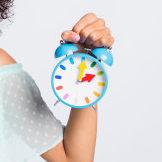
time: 2:01
